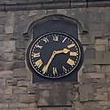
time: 2:34
